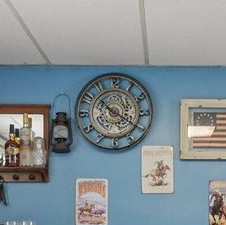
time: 10:20
